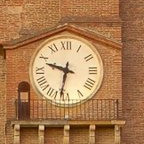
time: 9:32
